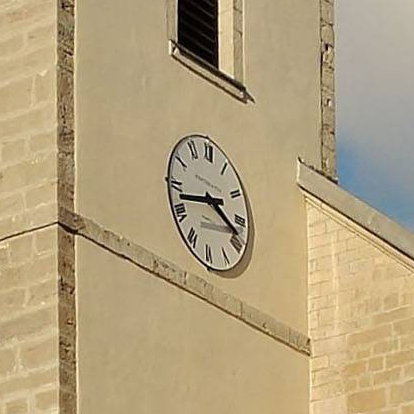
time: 3:42
